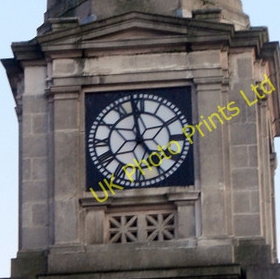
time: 4:58
